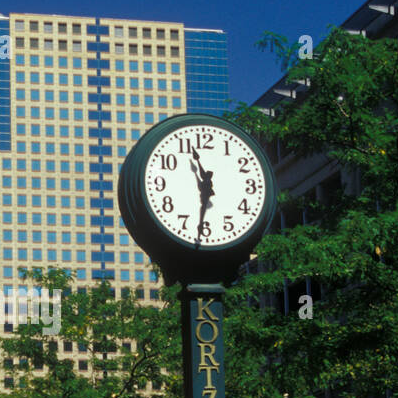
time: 11:31
